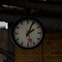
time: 2:04
